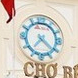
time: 7:21
